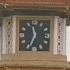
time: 11:34
